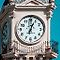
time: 7:04
